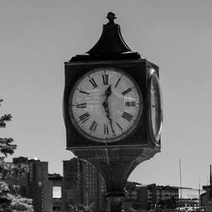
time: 12:27
